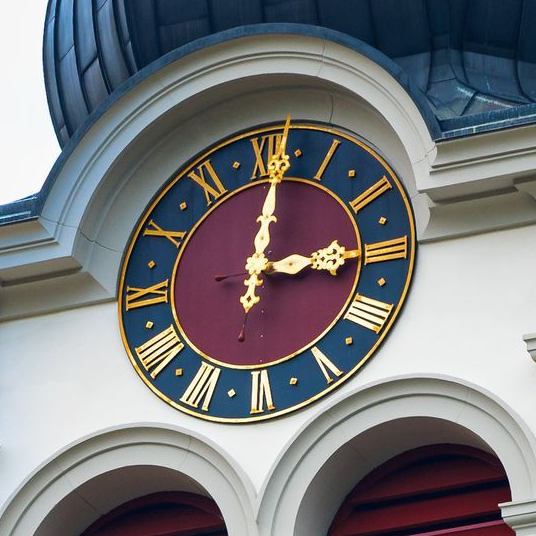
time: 3:01
